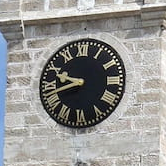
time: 9:42
